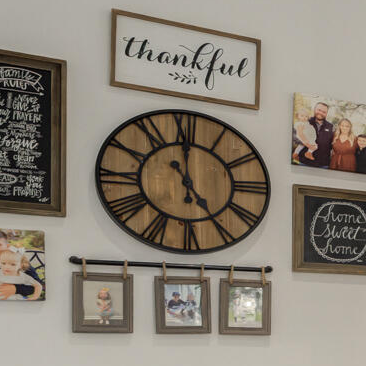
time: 4:59
